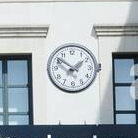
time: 1:51
